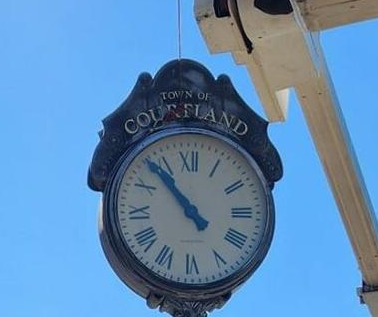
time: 10:53
